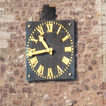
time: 10:43
